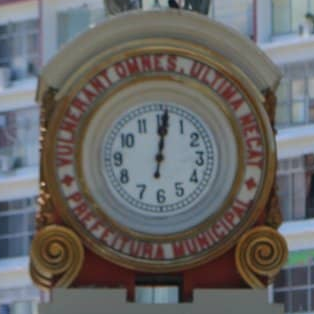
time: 12:01
